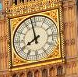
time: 7:58
